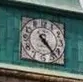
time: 4:23
